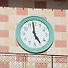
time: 4:58
